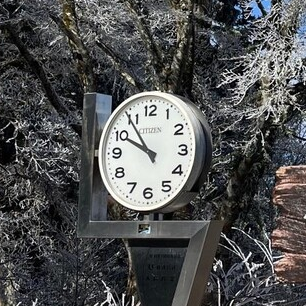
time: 9:54
